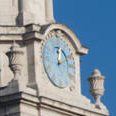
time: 12:10
